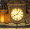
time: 8:07
